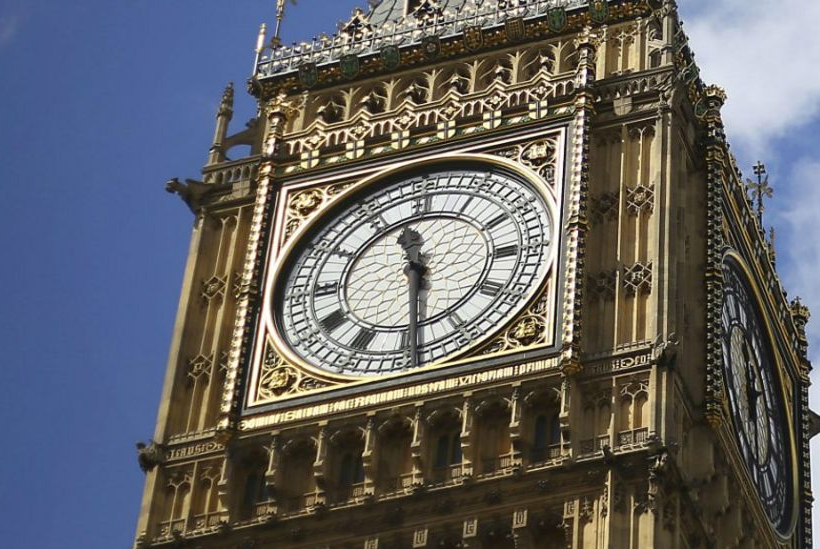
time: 11:29
